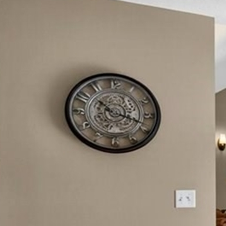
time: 10:18
